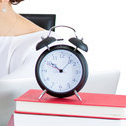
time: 10:07
